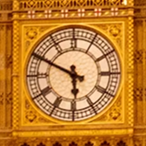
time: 5:49
